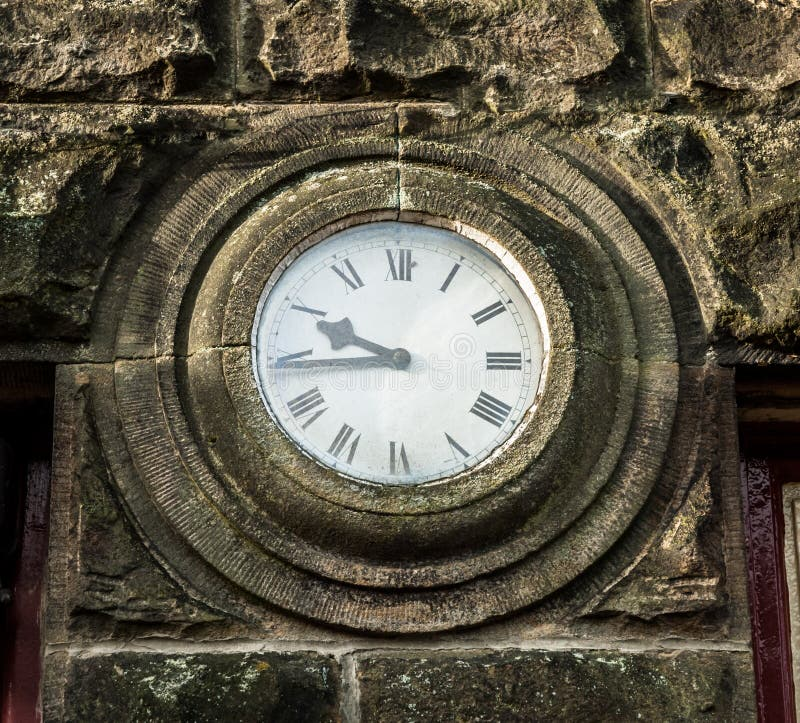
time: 9:43
